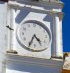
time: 4:34
